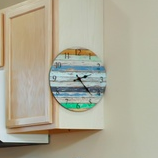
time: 2:23
